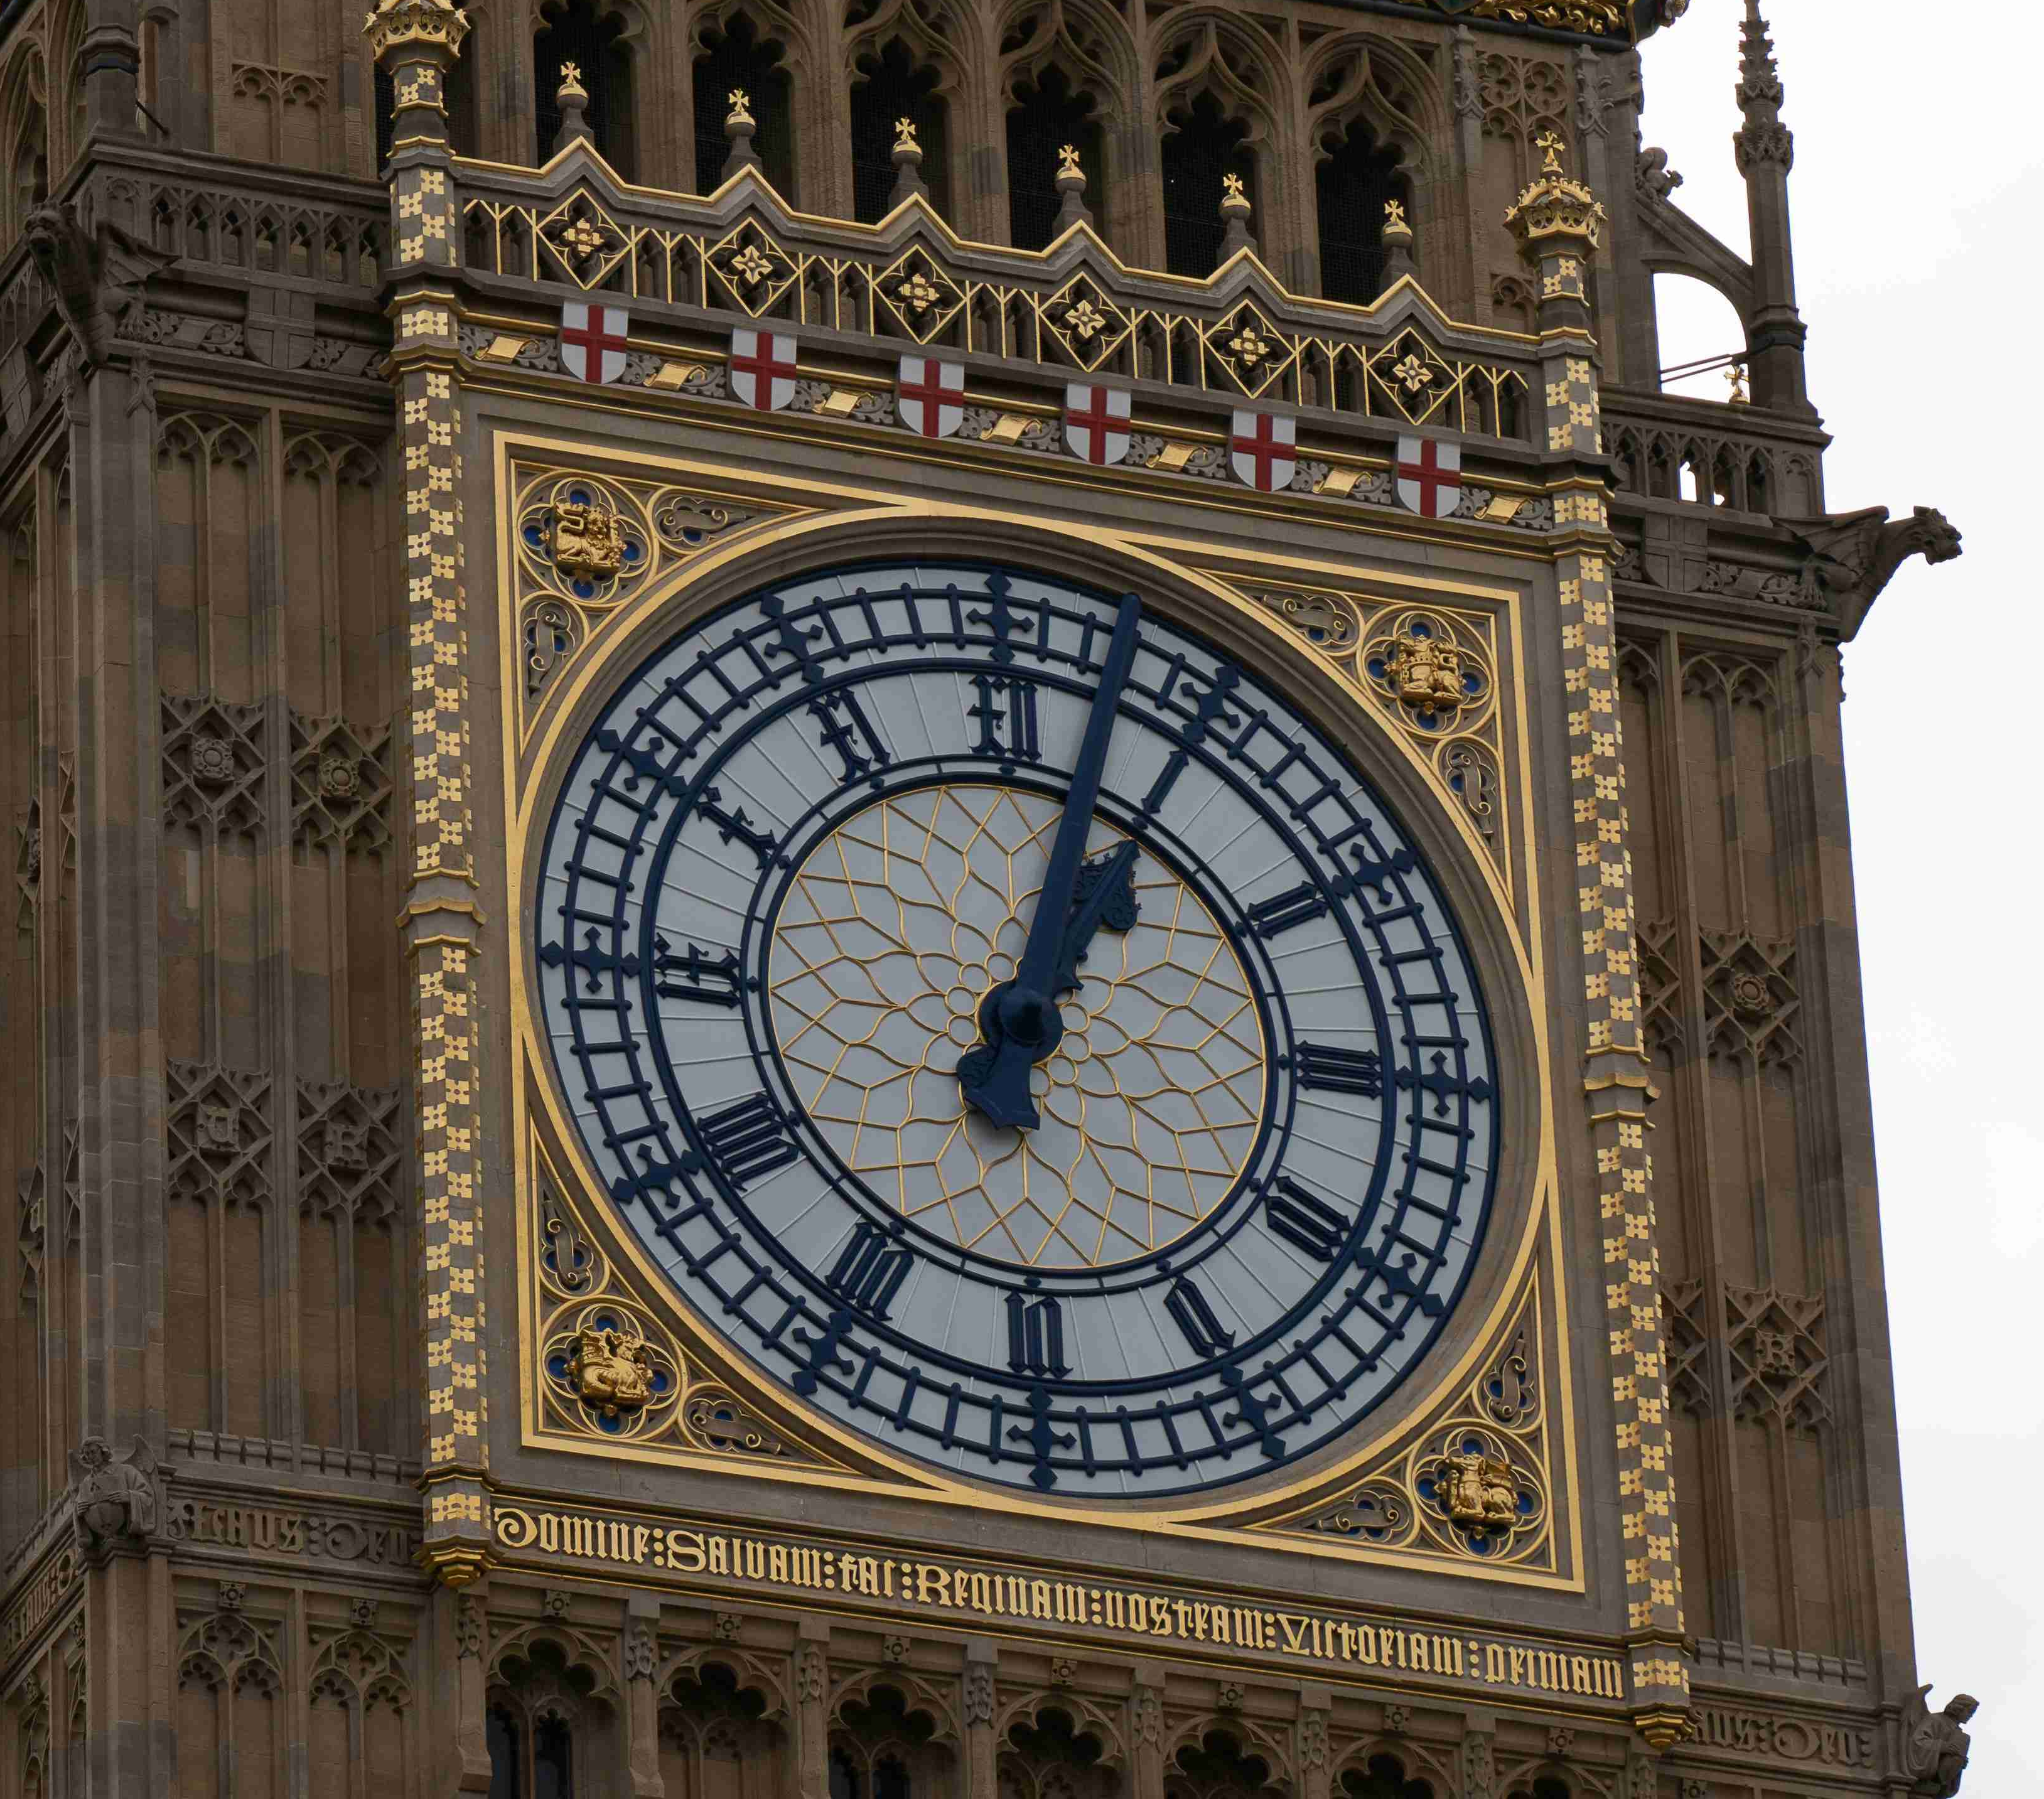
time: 1:02
